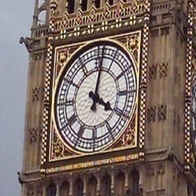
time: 4:02
